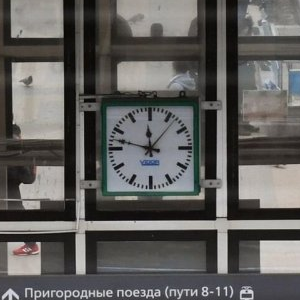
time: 11:47
